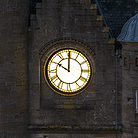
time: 10:00
